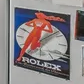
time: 12:07
